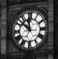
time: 11:52
